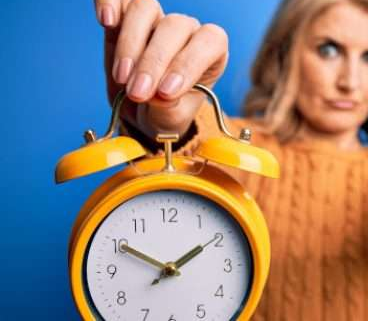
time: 1:50
